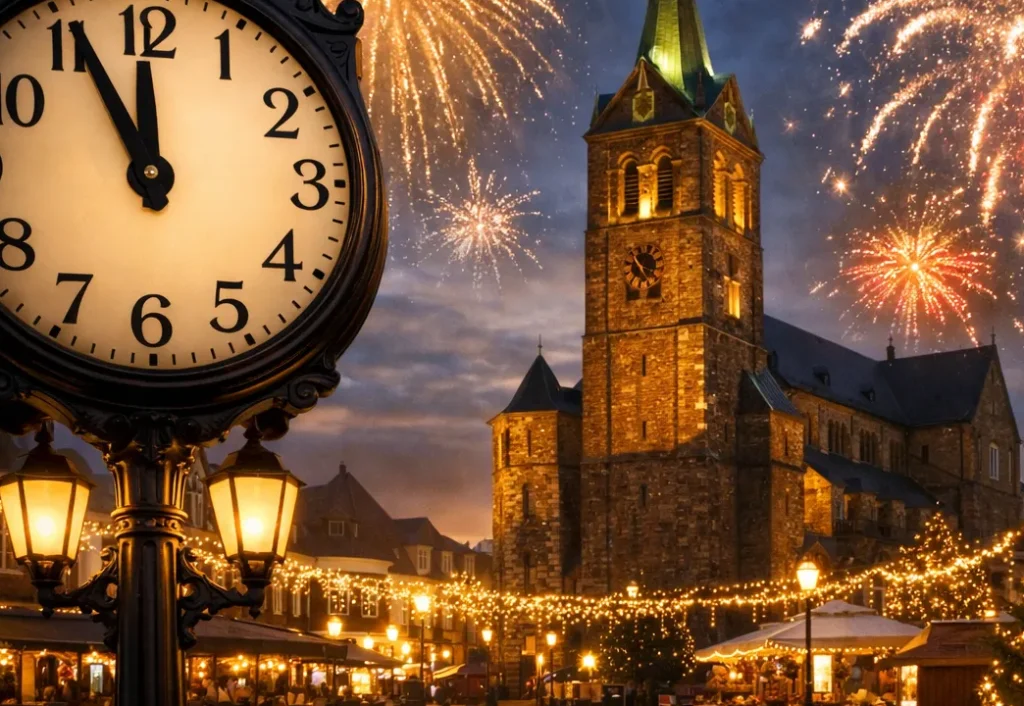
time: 11:55
